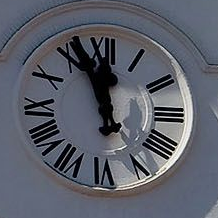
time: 11:56
